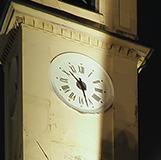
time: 10:27
